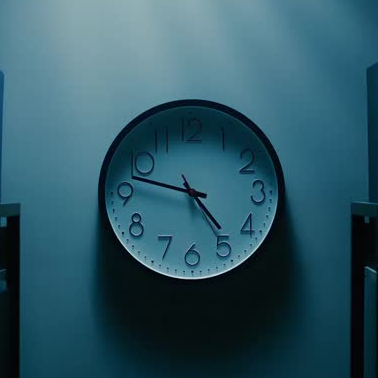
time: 4:47
